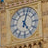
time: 5:03
